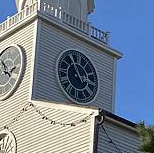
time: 2:54
